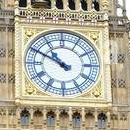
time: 10:49
